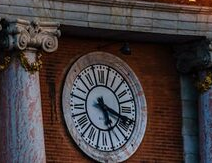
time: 5:18
